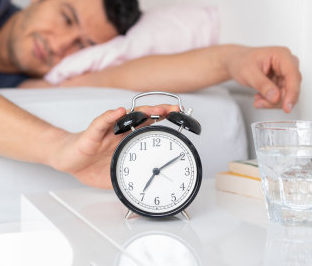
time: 7:09
